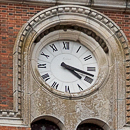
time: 4:18
